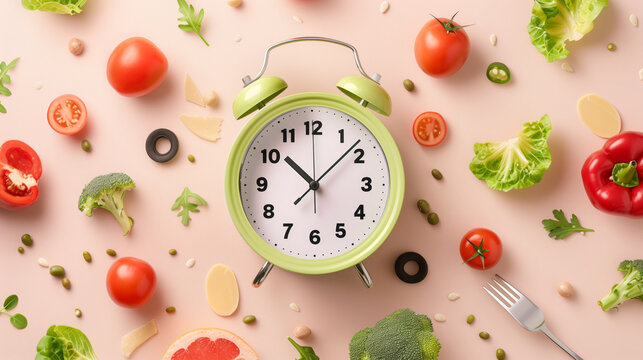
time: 10:07
